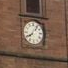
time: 8:06
